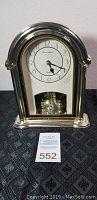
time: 5:18
